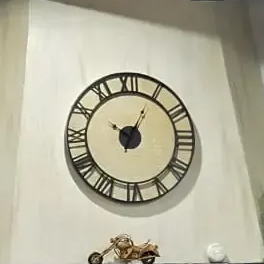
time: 10:04
